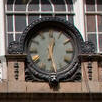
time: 12:28
